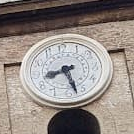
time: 8:27
